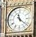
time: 11:21
